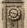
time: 3:47
